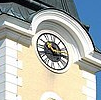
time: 10:14
